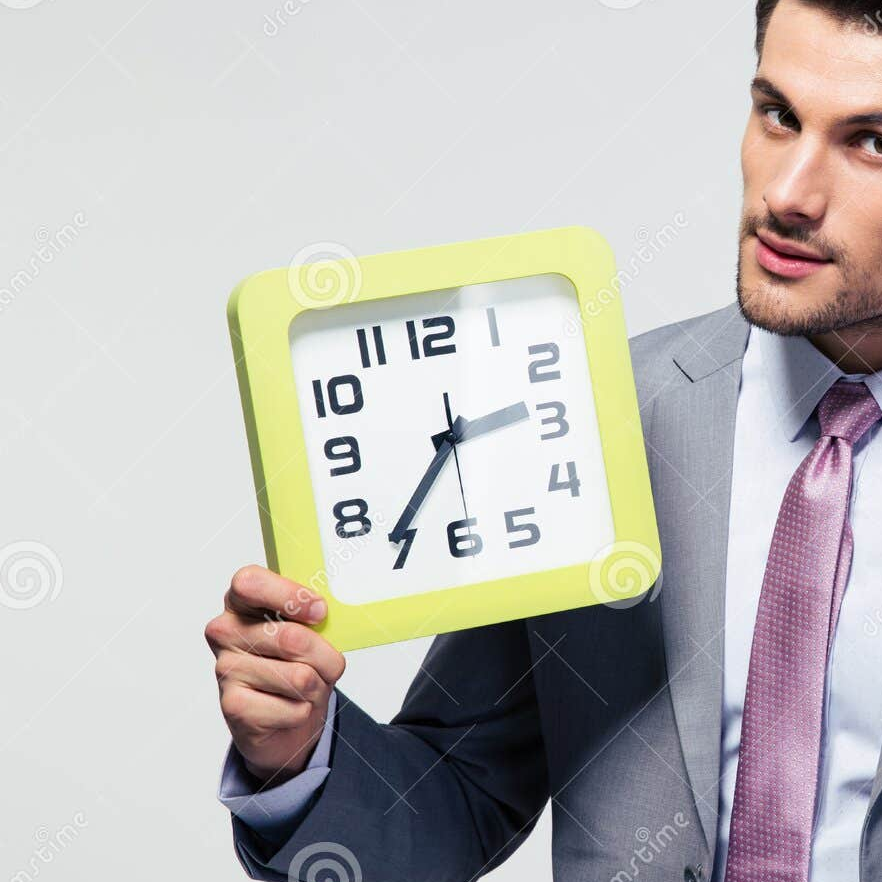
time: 2:36
